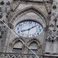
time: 8:09
